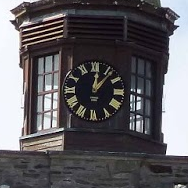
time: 12:06
